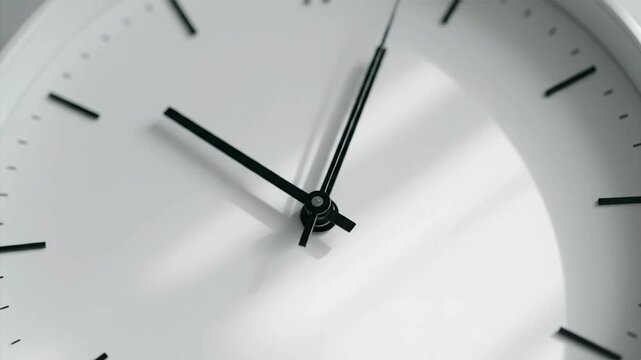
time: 10:03
